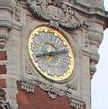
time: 8:12
